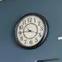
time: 3:45
